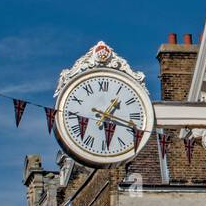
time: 1:18
